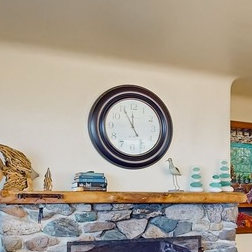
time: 11:55
